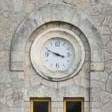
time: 3:48
